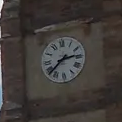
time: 2:38
